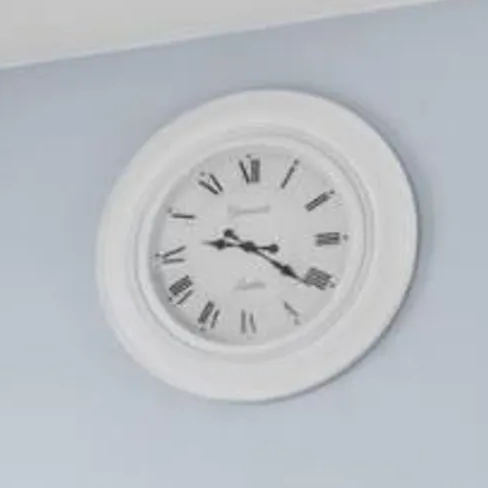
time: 9:21
